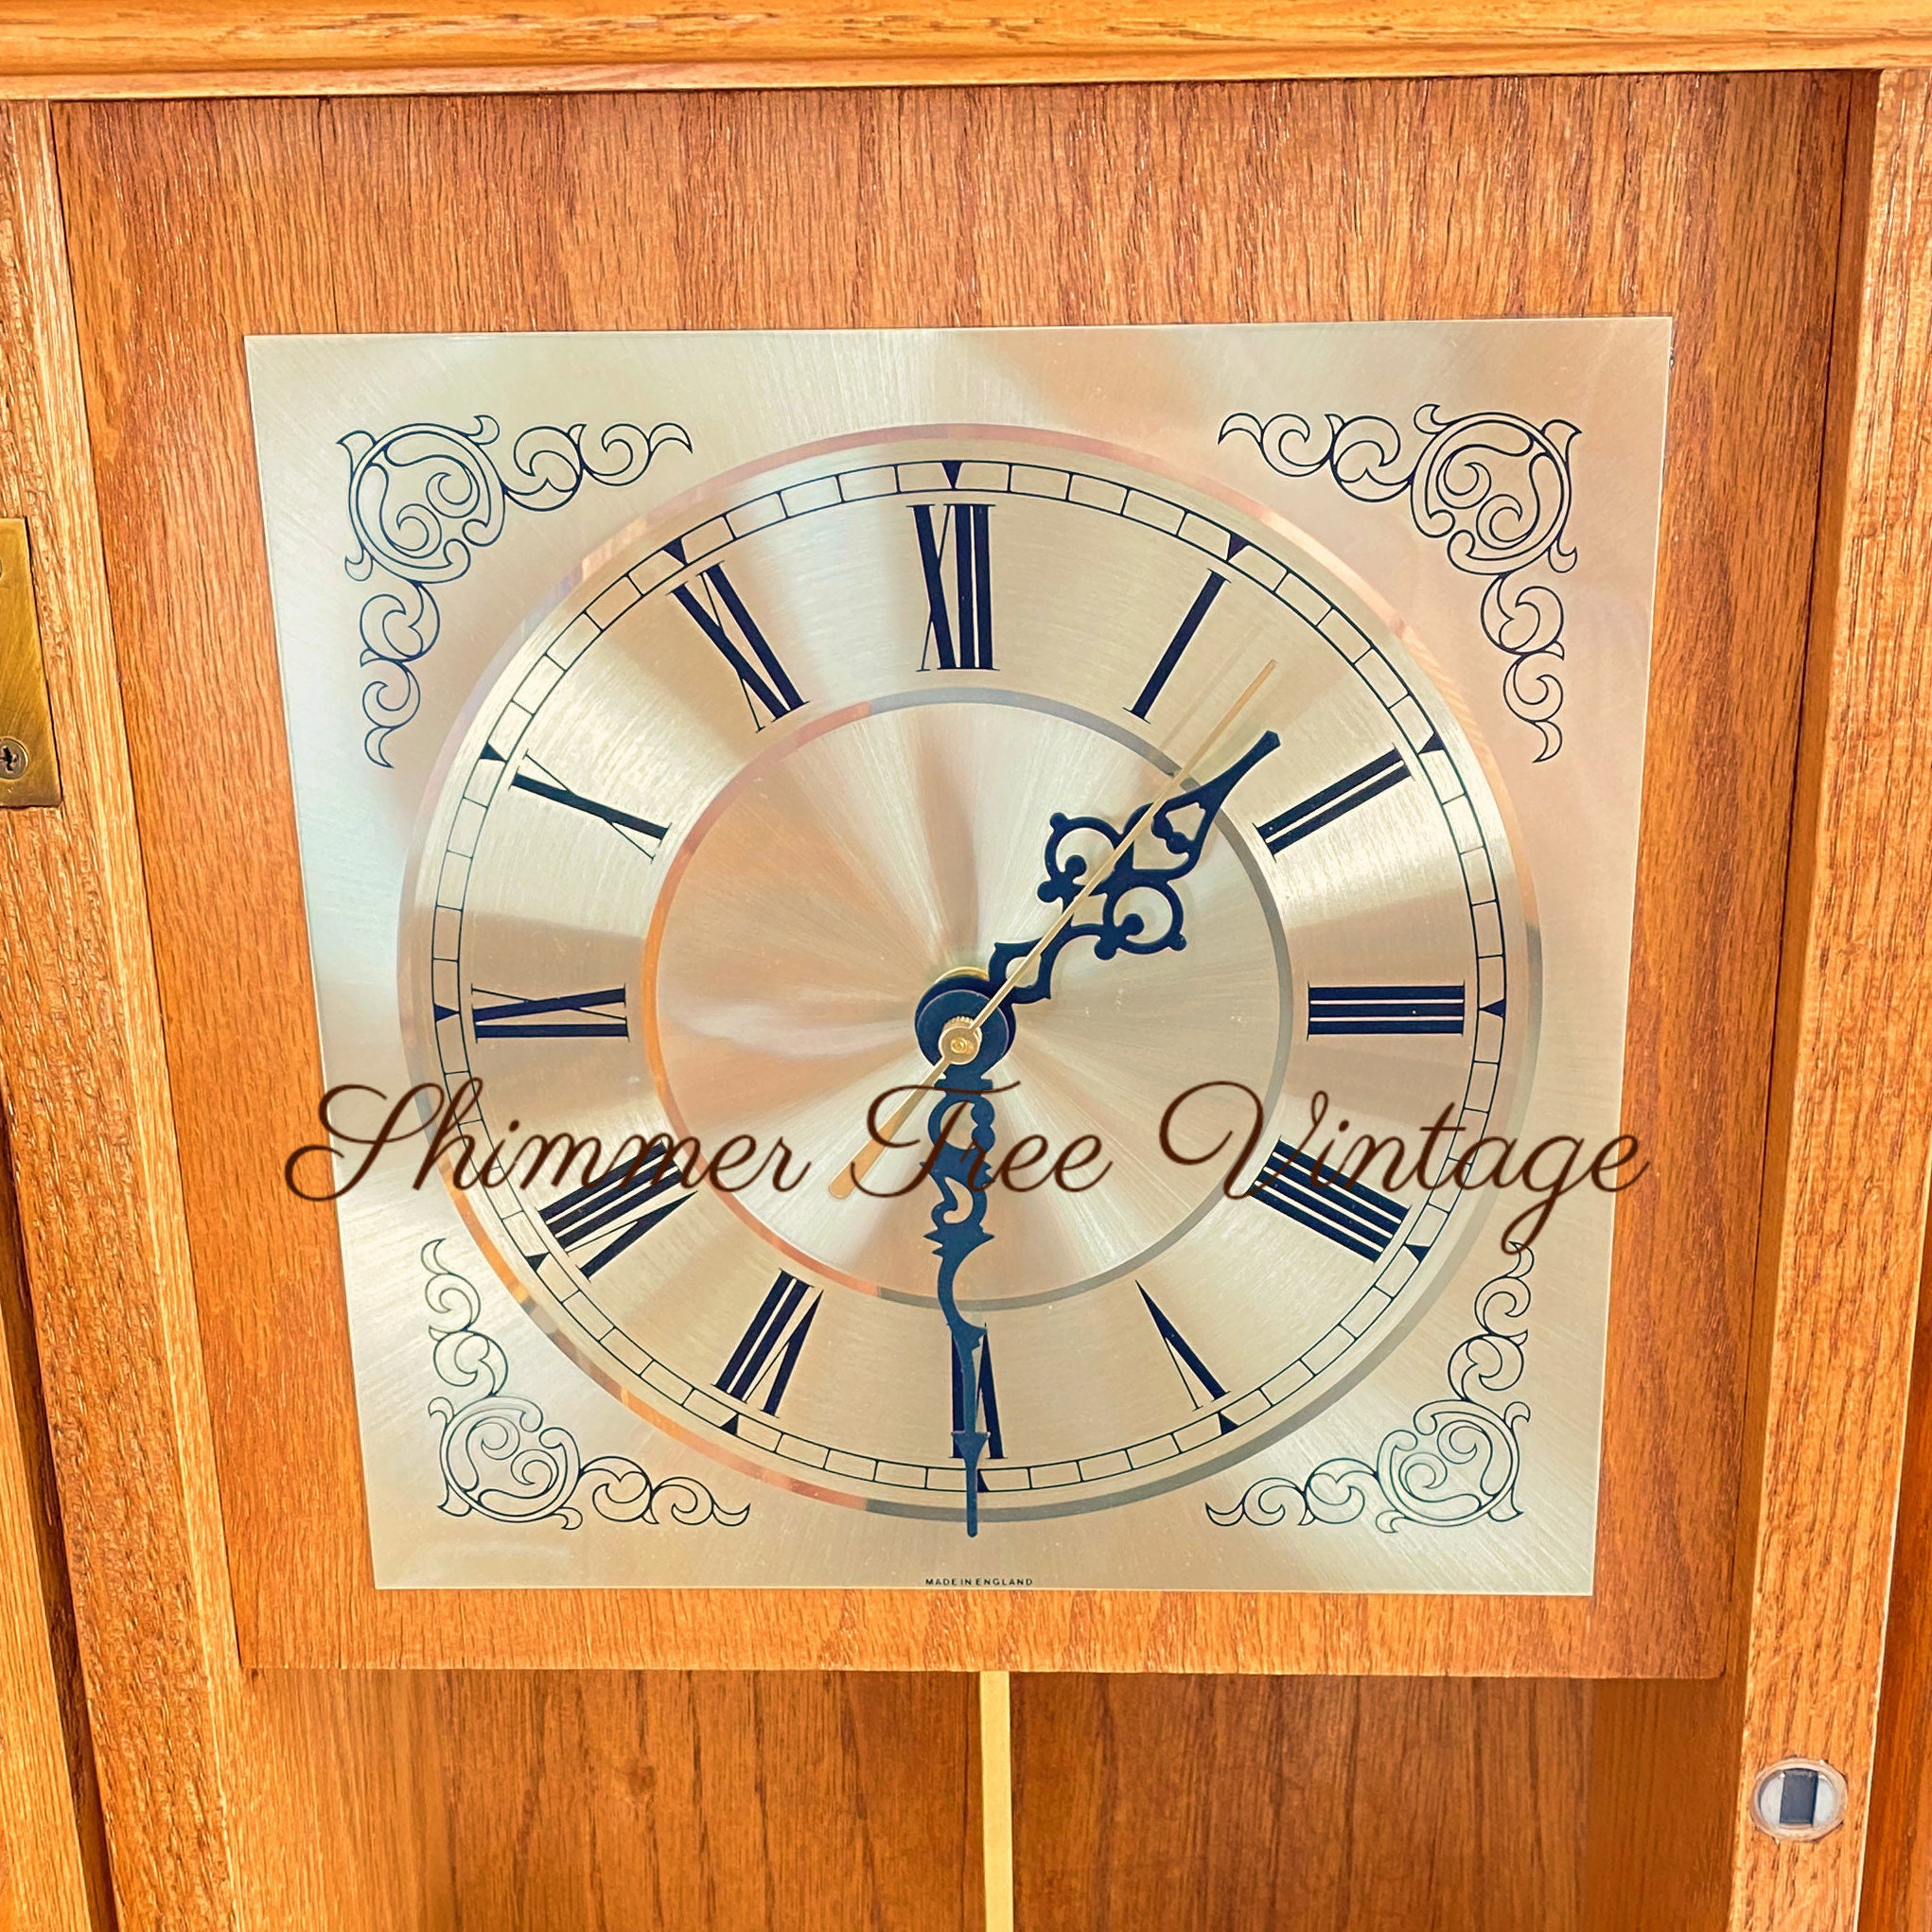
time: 1:30
